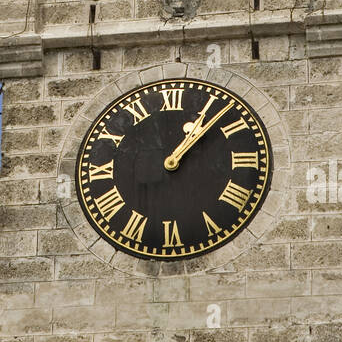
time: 1:07
